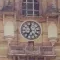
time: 11:35
